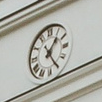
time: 1:24
